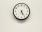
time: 5:24
